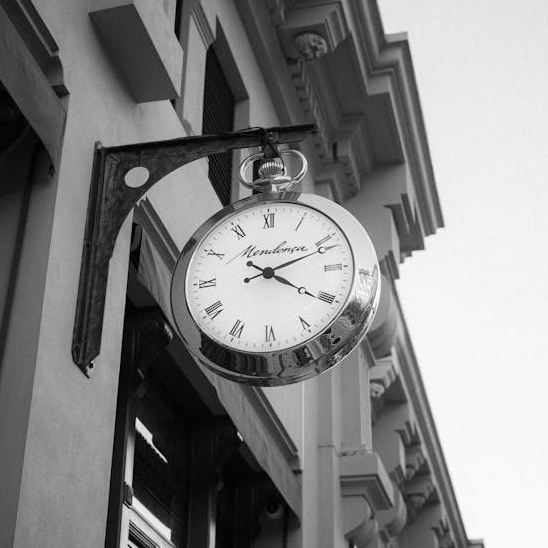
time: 2:20
